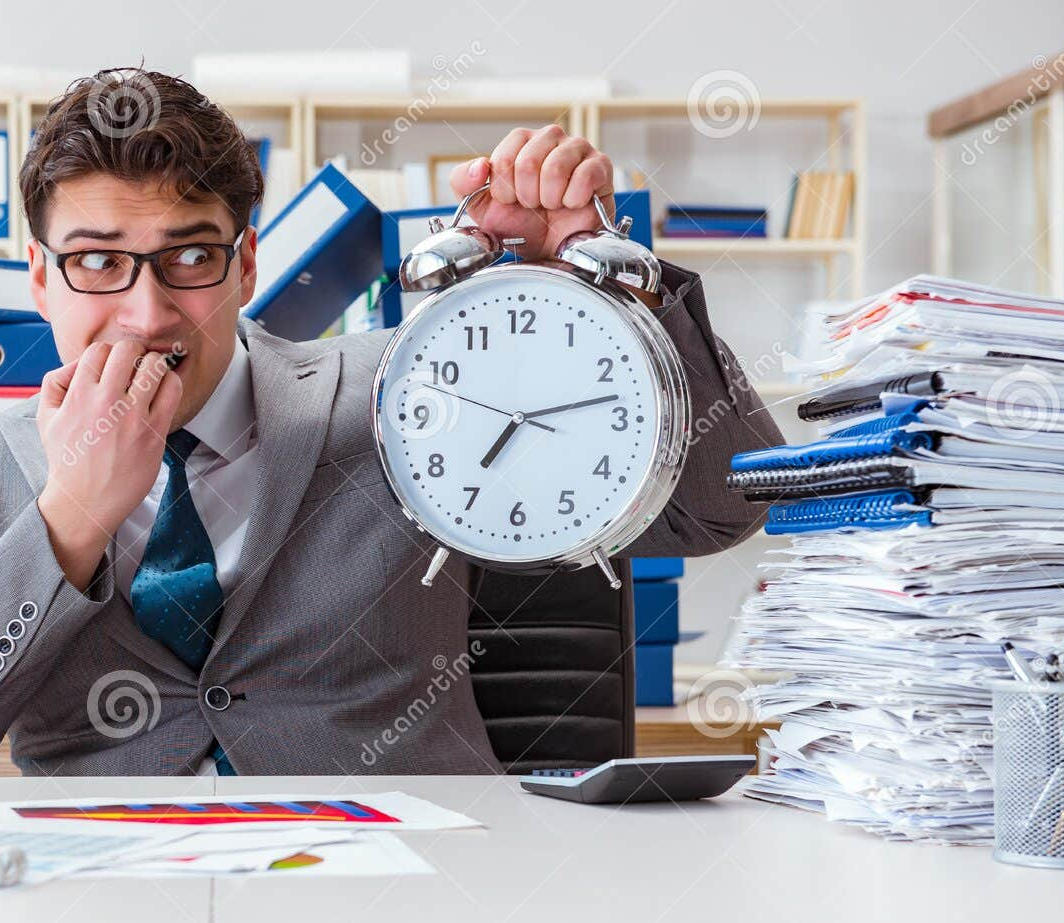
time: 7:13
